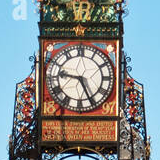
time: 9:25
